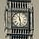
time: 11:28
